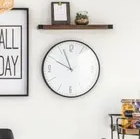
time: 9:56
